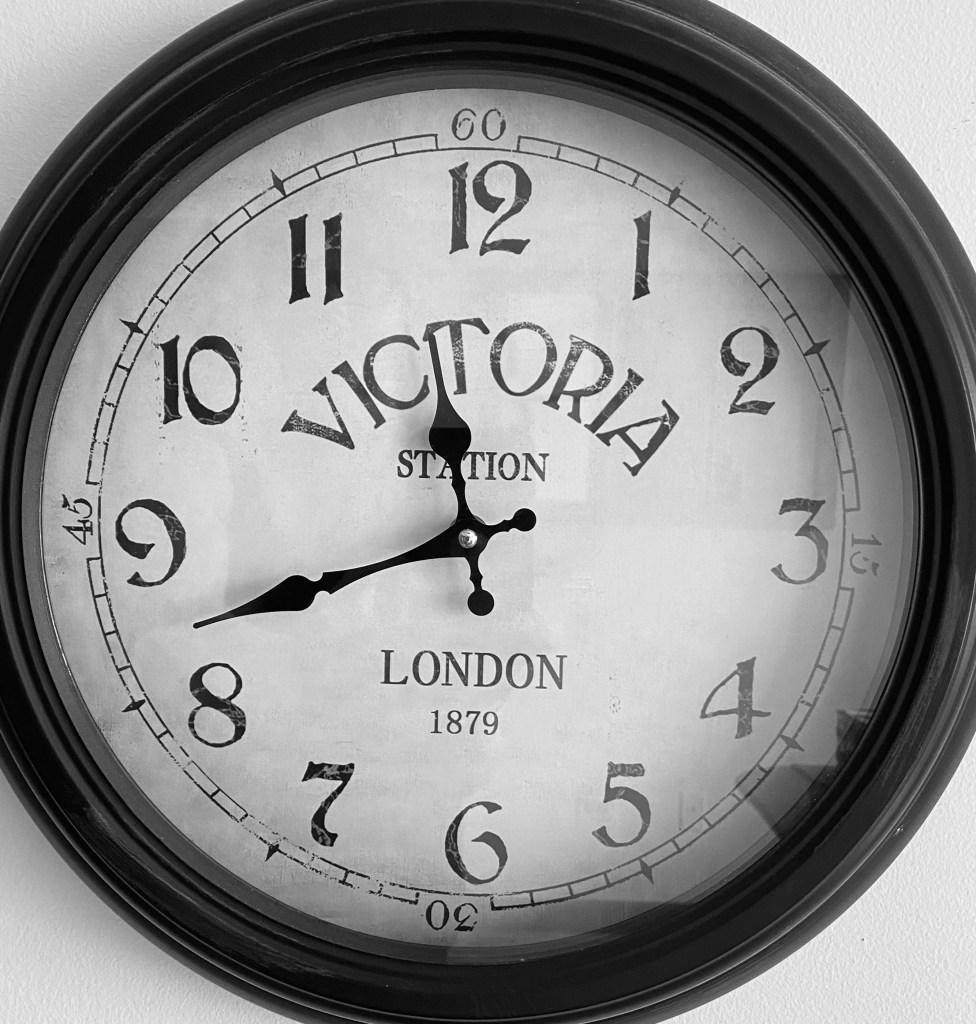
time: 11:42
